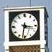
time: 3:31
